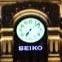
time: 7:08
